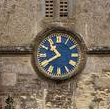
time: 10:39
